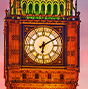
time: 6:10
